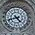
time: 4:41
